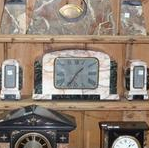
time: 1:35
